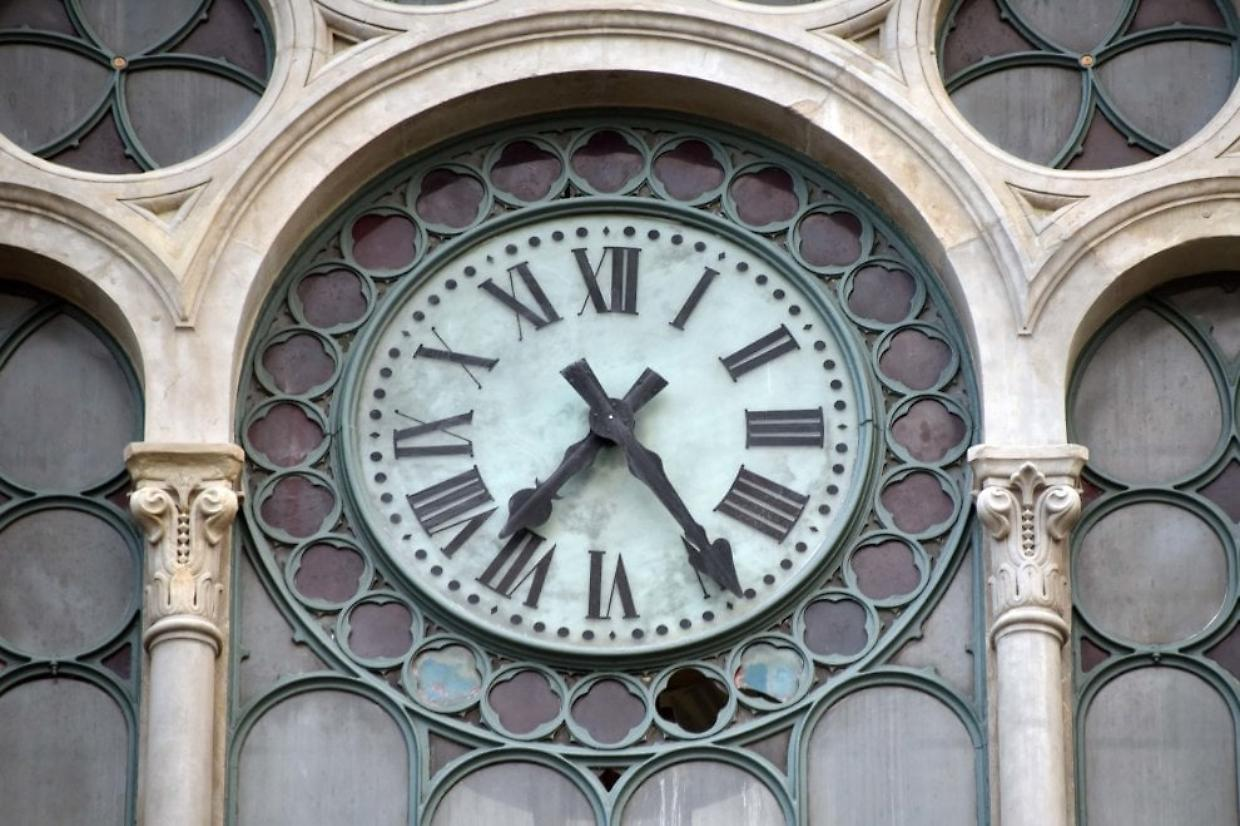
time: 7:24
